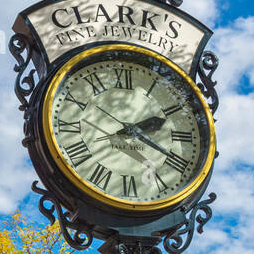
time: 2:19
